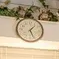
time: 1:26
